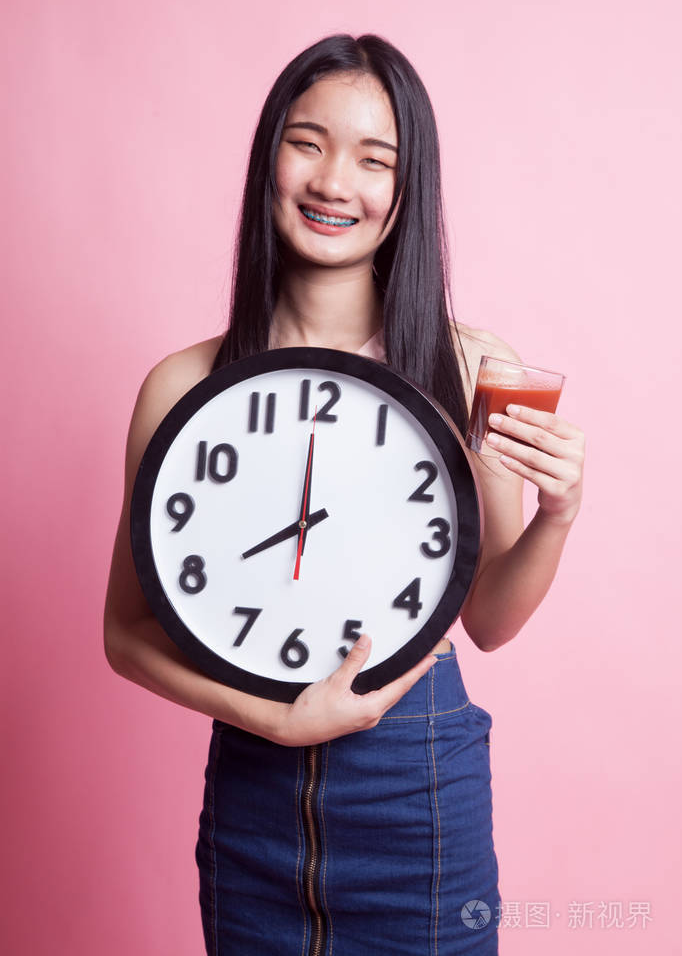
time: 7:59
